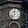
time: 11:37
